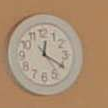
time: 12:20
